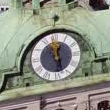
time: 12:27
